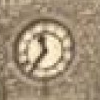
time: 11:36
